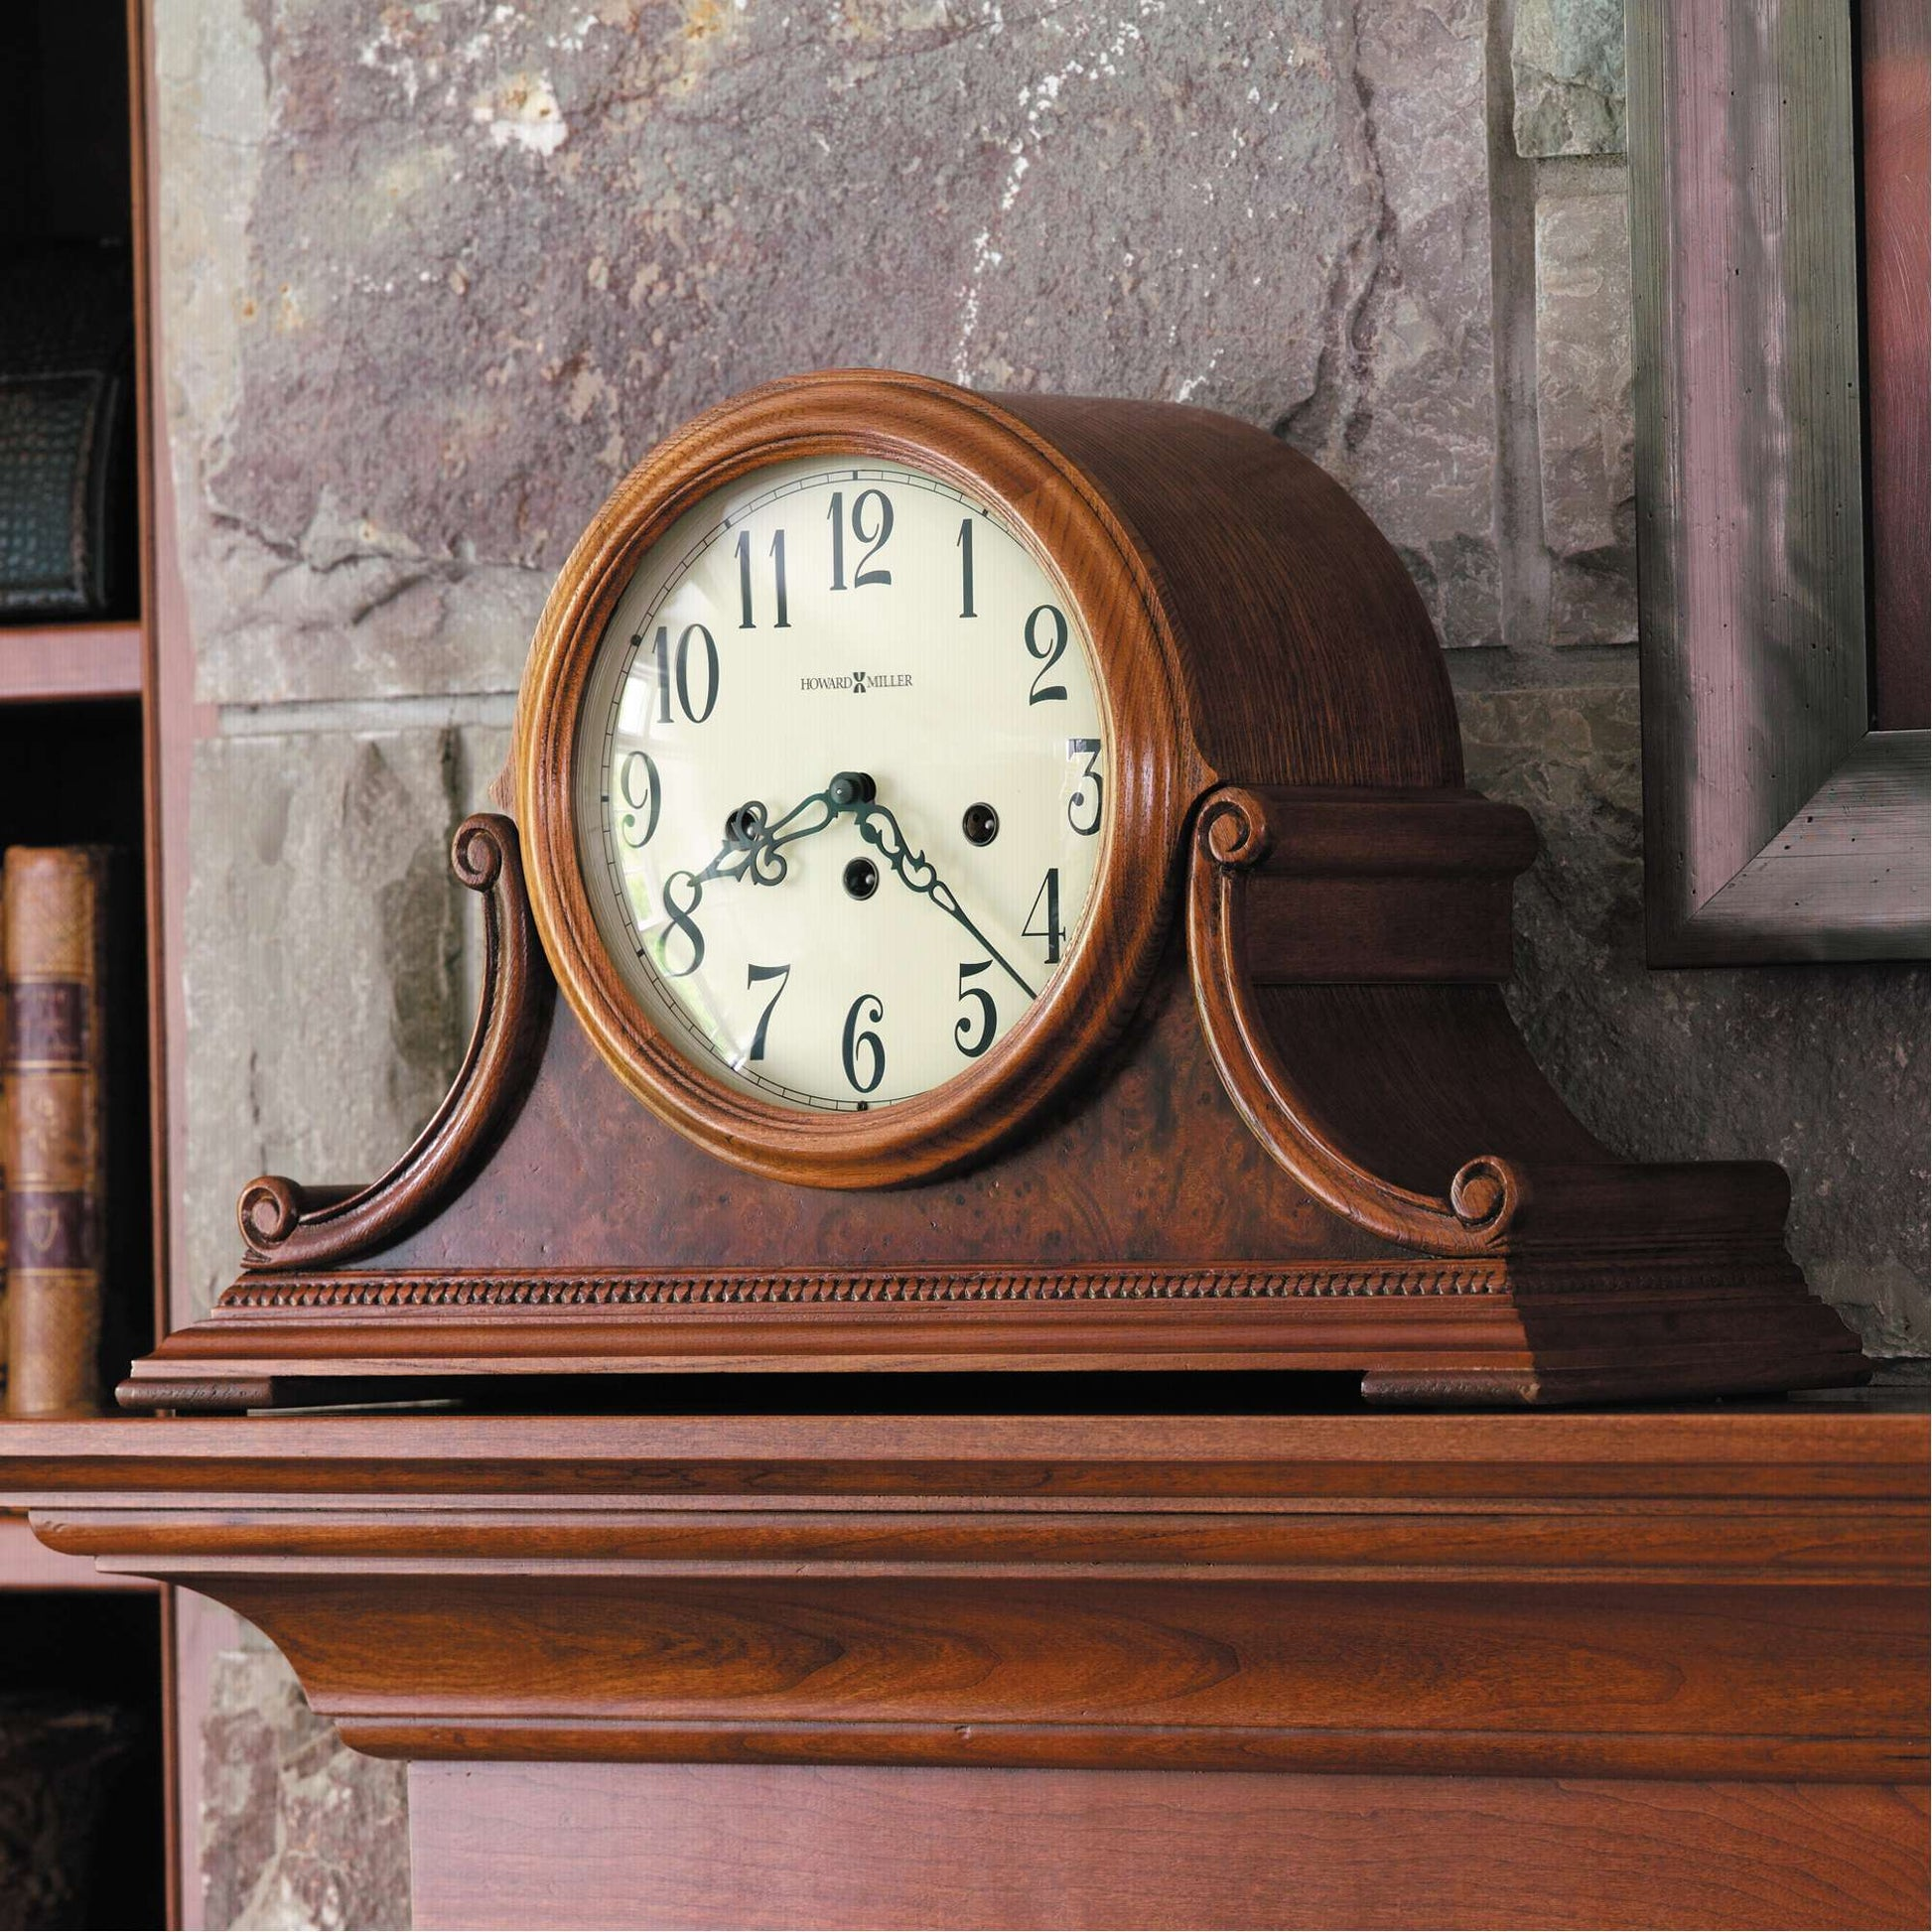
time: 8:23
